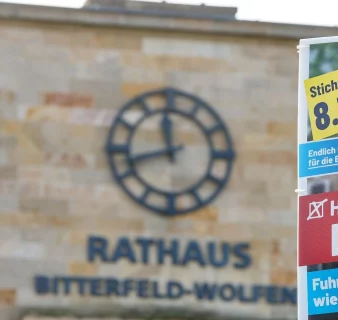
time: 11:42
